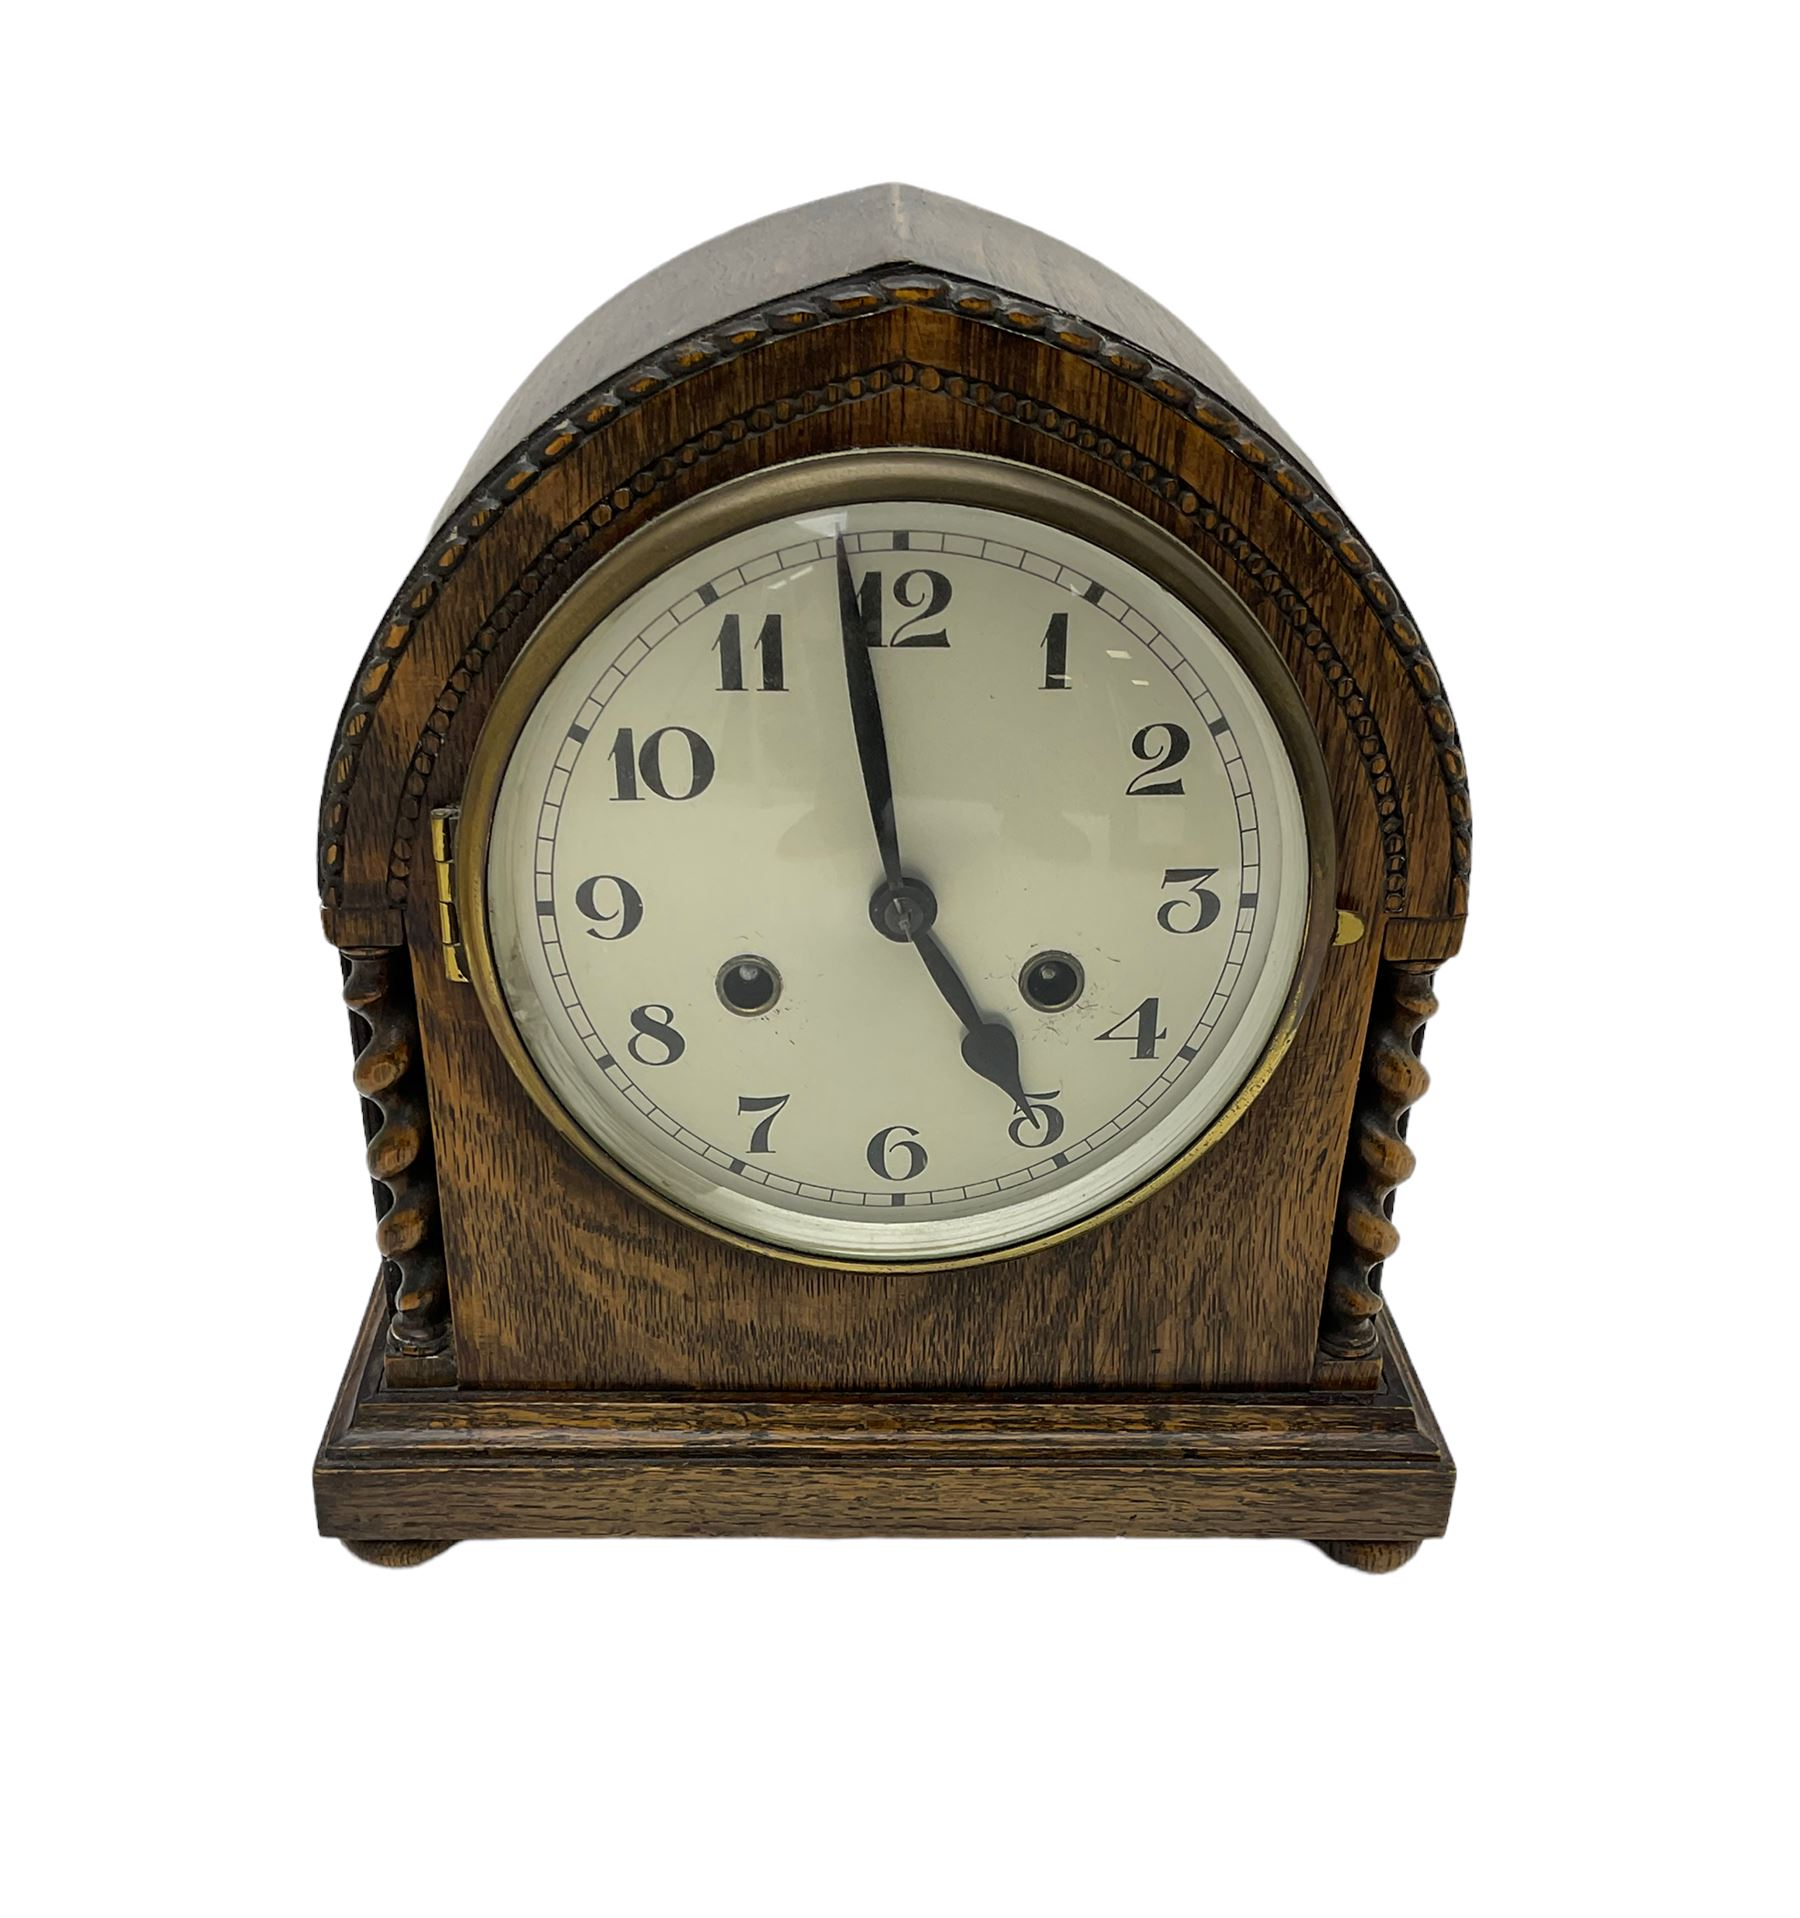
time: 4:58
